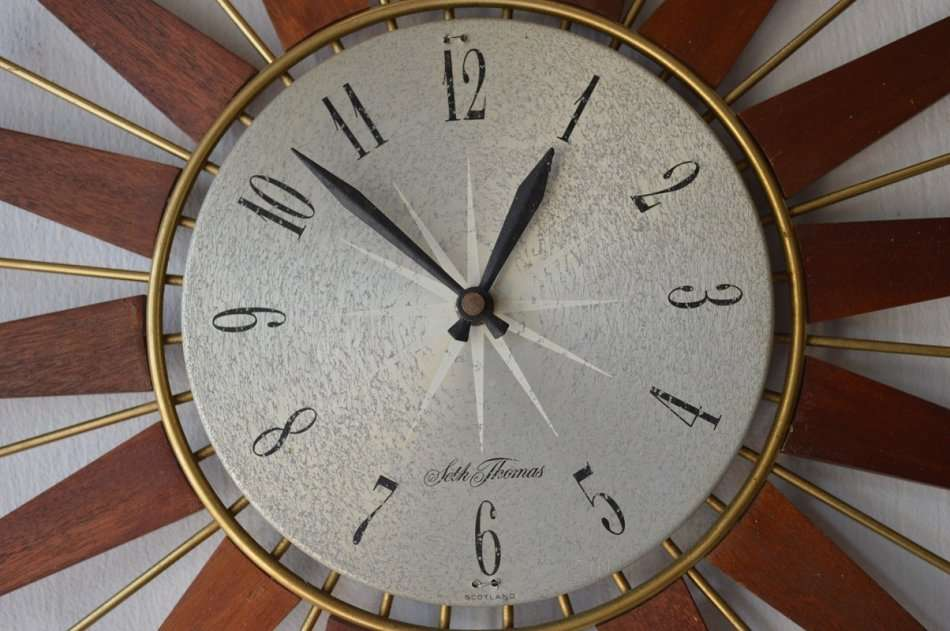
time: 12:52
